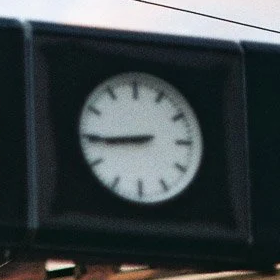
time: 8:44
